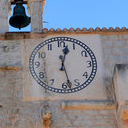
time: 12:27
